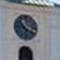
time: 10:20
